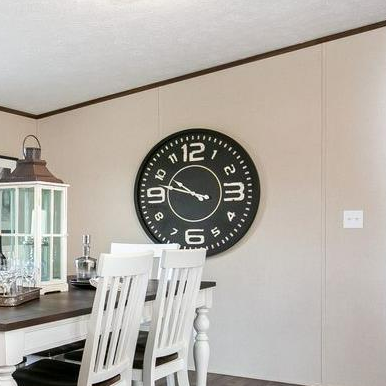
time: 9:47
